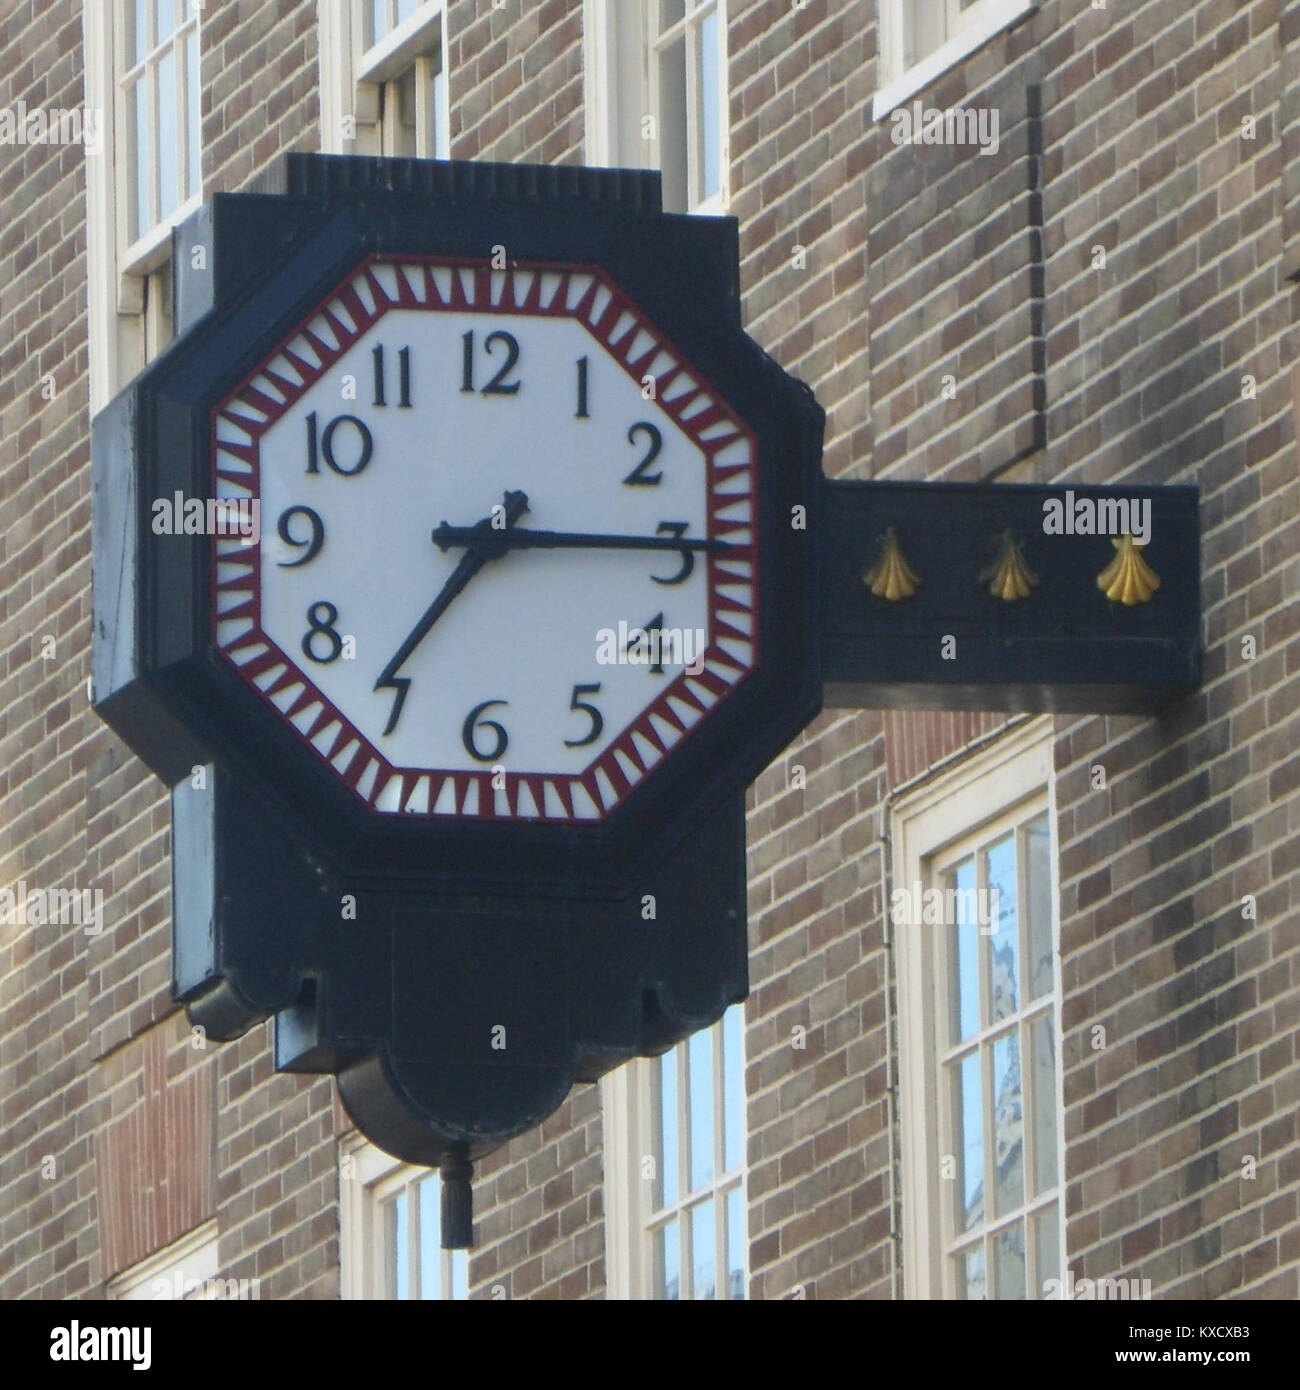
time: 7:15
